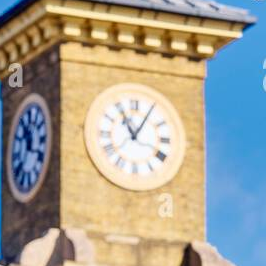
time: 11:05
